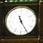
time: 11:25
